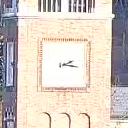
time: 2:16
